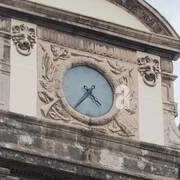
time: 4:35
